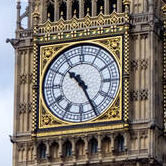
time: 10:25
